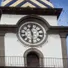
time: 11:30
